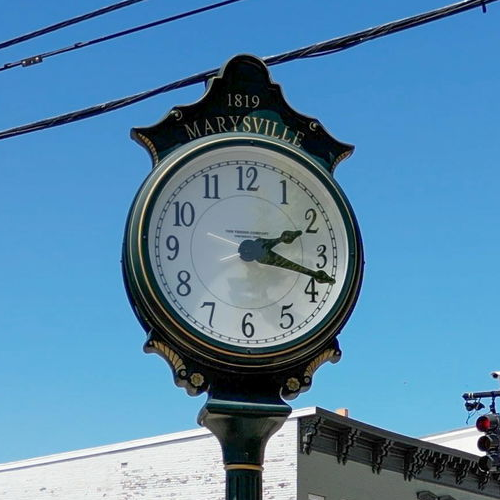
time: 2:18
